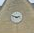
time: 2:48
